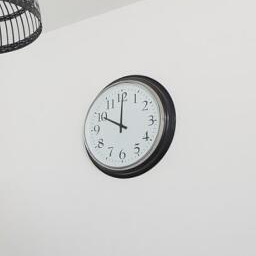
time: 10:00
